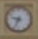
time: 9:34
